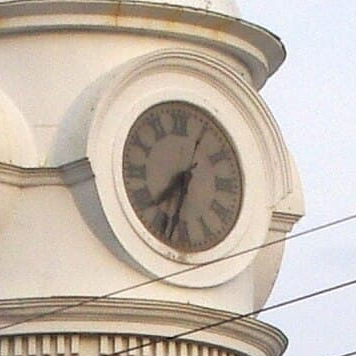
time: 7:33
